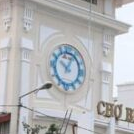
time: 10:04
